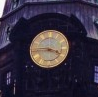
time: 3:44
